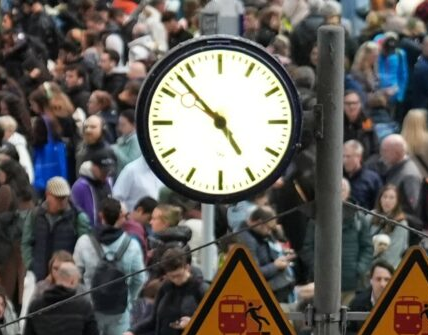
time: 4:52
